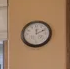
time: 12:10
